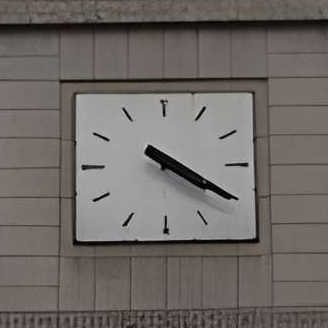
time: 4:20
